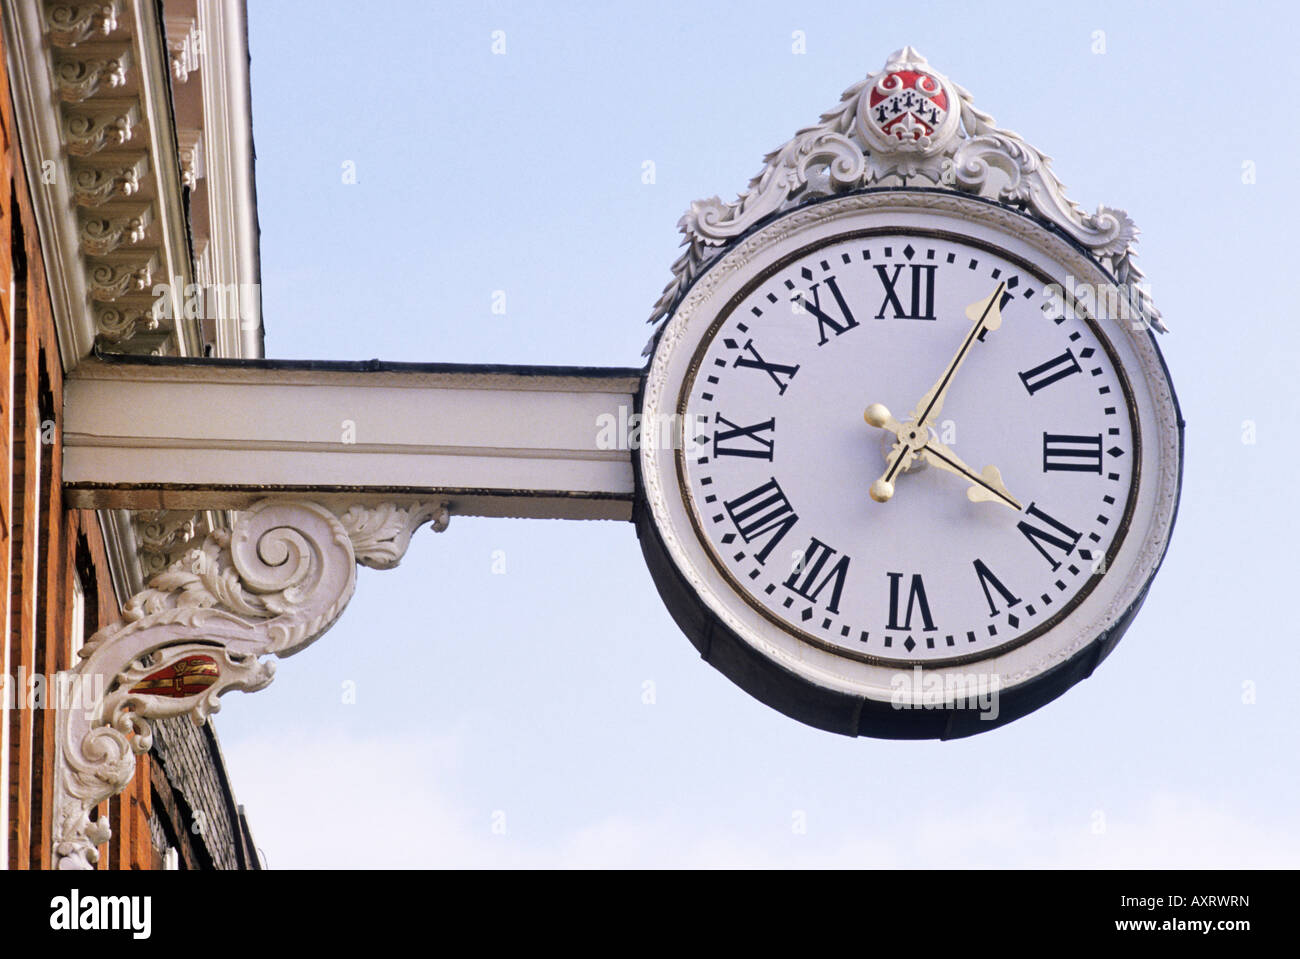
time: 4:04
